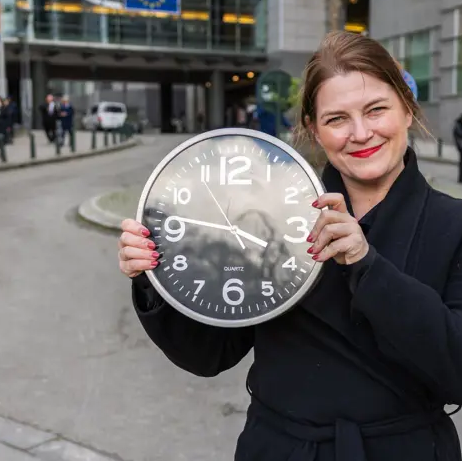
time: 3:46
